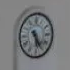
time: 5:24
